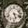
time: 5:18
